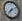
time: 7:09
